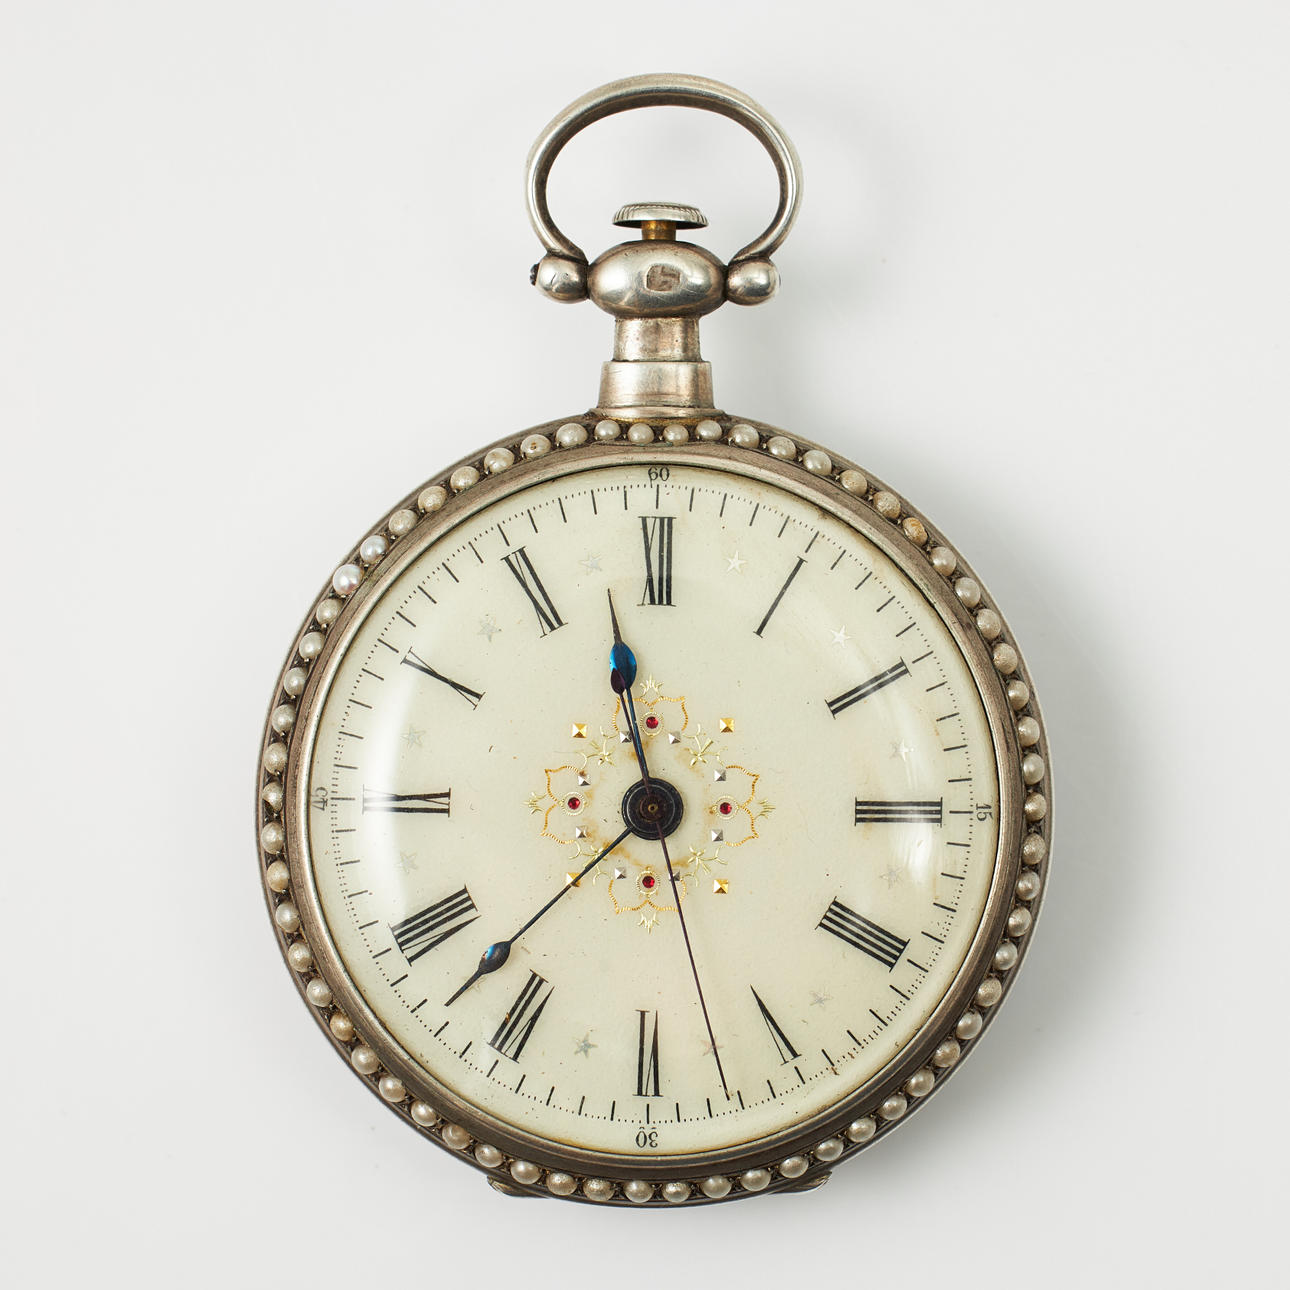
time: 11:37
